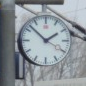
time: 1:52
